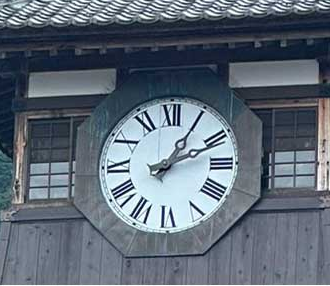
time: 2:05
